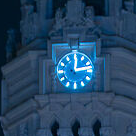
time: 12:13
